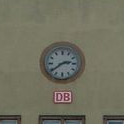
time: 2:39
